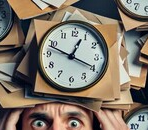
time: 12:48
